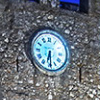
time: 6:29
